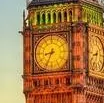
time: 8:34
